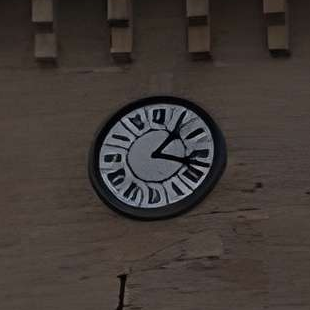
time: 1:17
